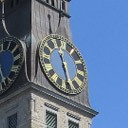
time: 11:28
